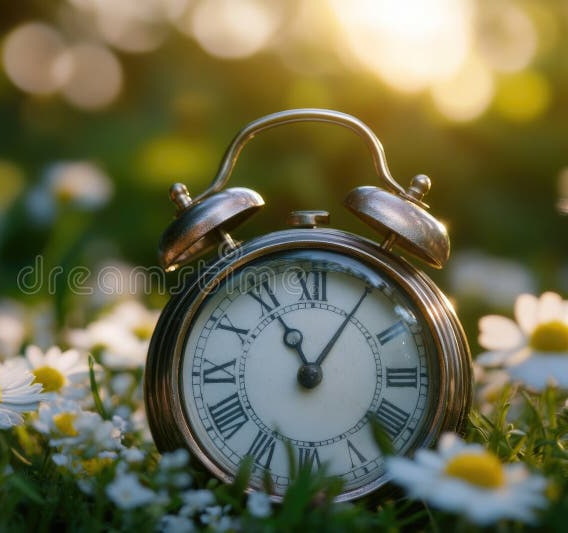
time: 11:05
